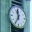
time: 11:35
